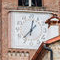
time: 12:37
